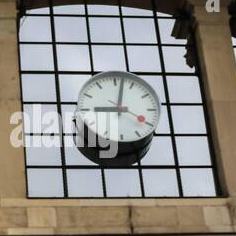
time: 9:01
